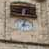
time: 3:02
